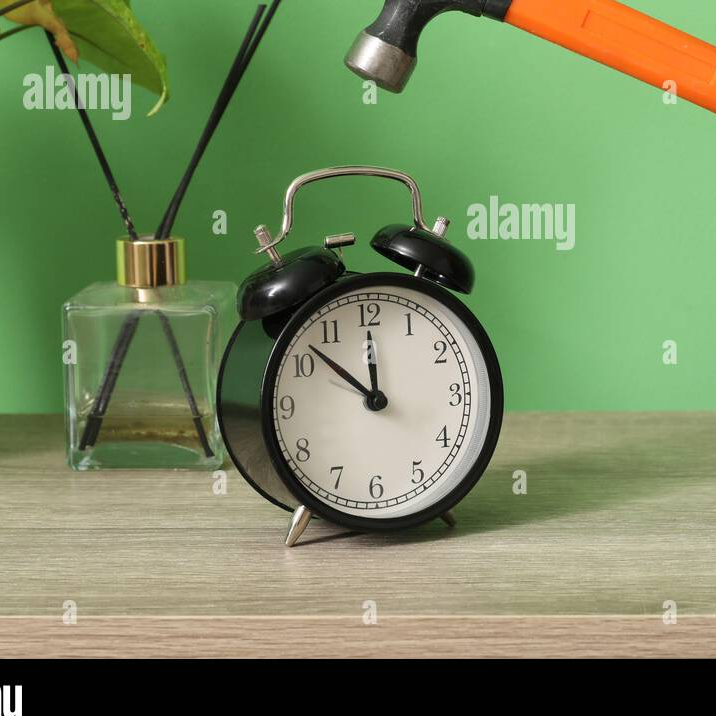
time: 11:52
